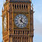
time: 12:22
